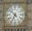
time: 6:52
